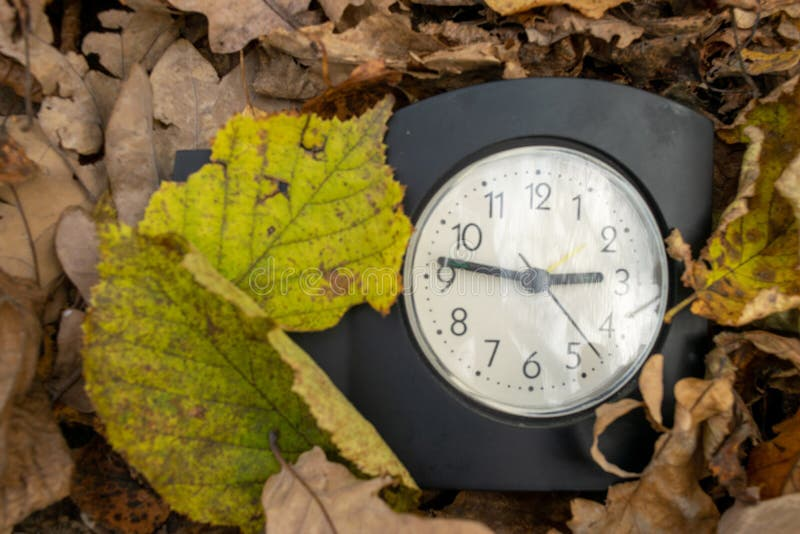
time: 2:46
